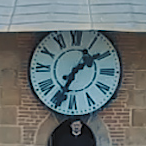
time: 1:34
